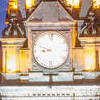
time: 8:48
